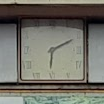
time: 6:10
